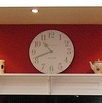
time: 10:41
